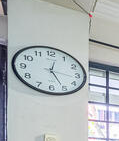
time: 12:25
